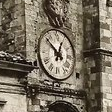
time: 12:52
